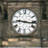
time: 9:16
